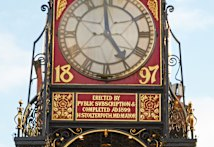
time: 4:59
